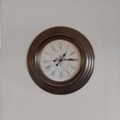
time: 1:14
